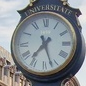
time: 7:27
